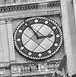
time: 2:55
